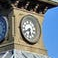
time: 5:40
